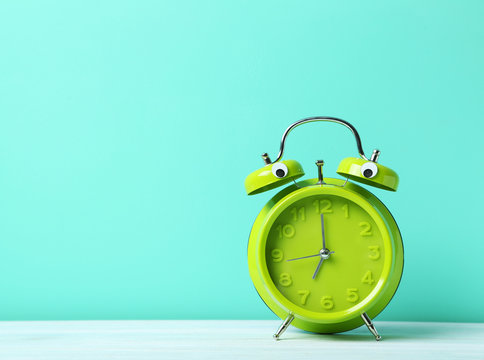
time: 6:59
